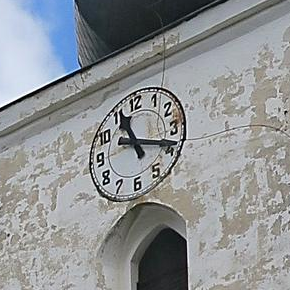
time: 11:18
